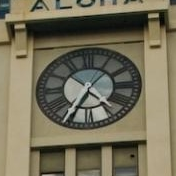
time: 4:34
